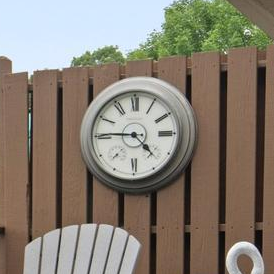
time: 4:45
